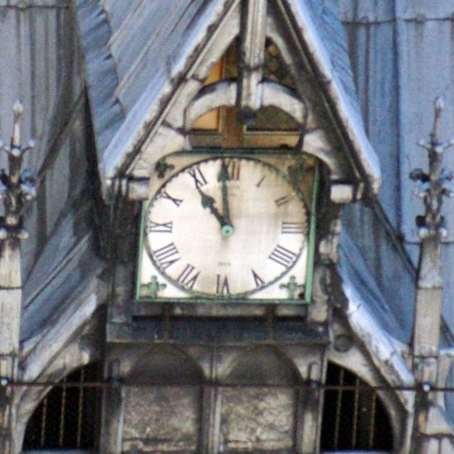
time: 10:59
